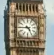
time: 4:44
